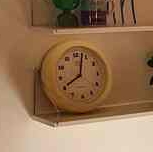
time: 8:02
